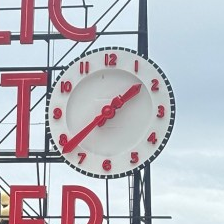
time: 1:38
